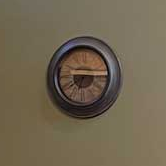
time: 7:15
